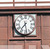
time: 7:28
